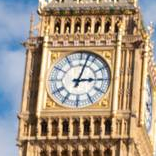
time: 3:02
